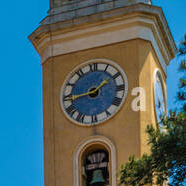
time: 1:43
